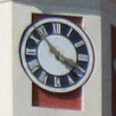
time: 3:53
